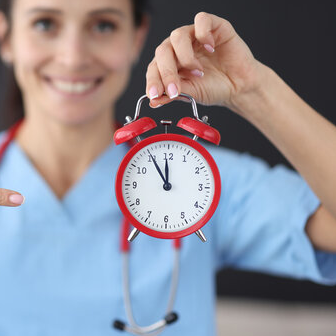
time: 11:54
